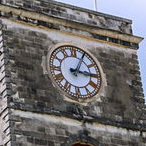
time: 3:04
